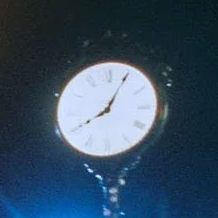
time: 8:04
